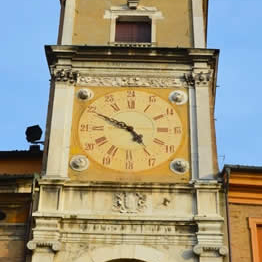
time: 4:49
